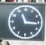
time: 11:16
